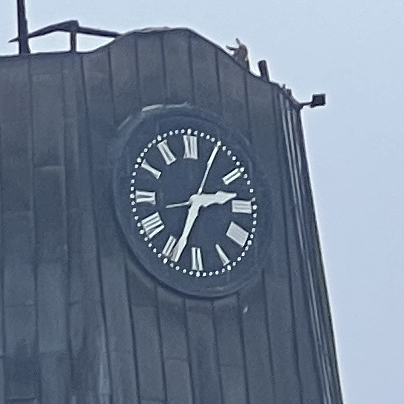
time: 2:34
